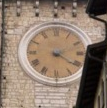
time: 2:21
